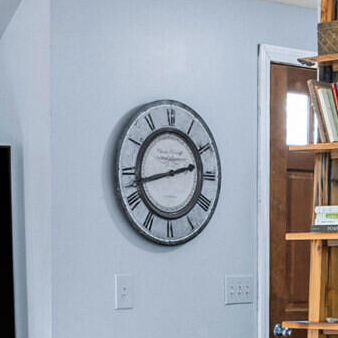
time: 2:43
